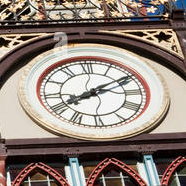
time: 8:09
